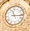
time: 11:16
